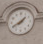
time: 1:40
